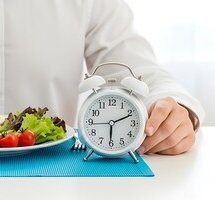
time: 6:10
